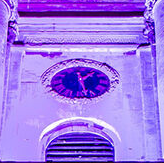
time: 1:27
